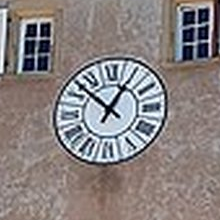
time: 12:52
